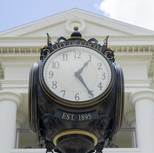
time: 1:24
